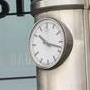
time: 10:17
